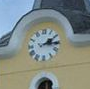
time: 2:14
